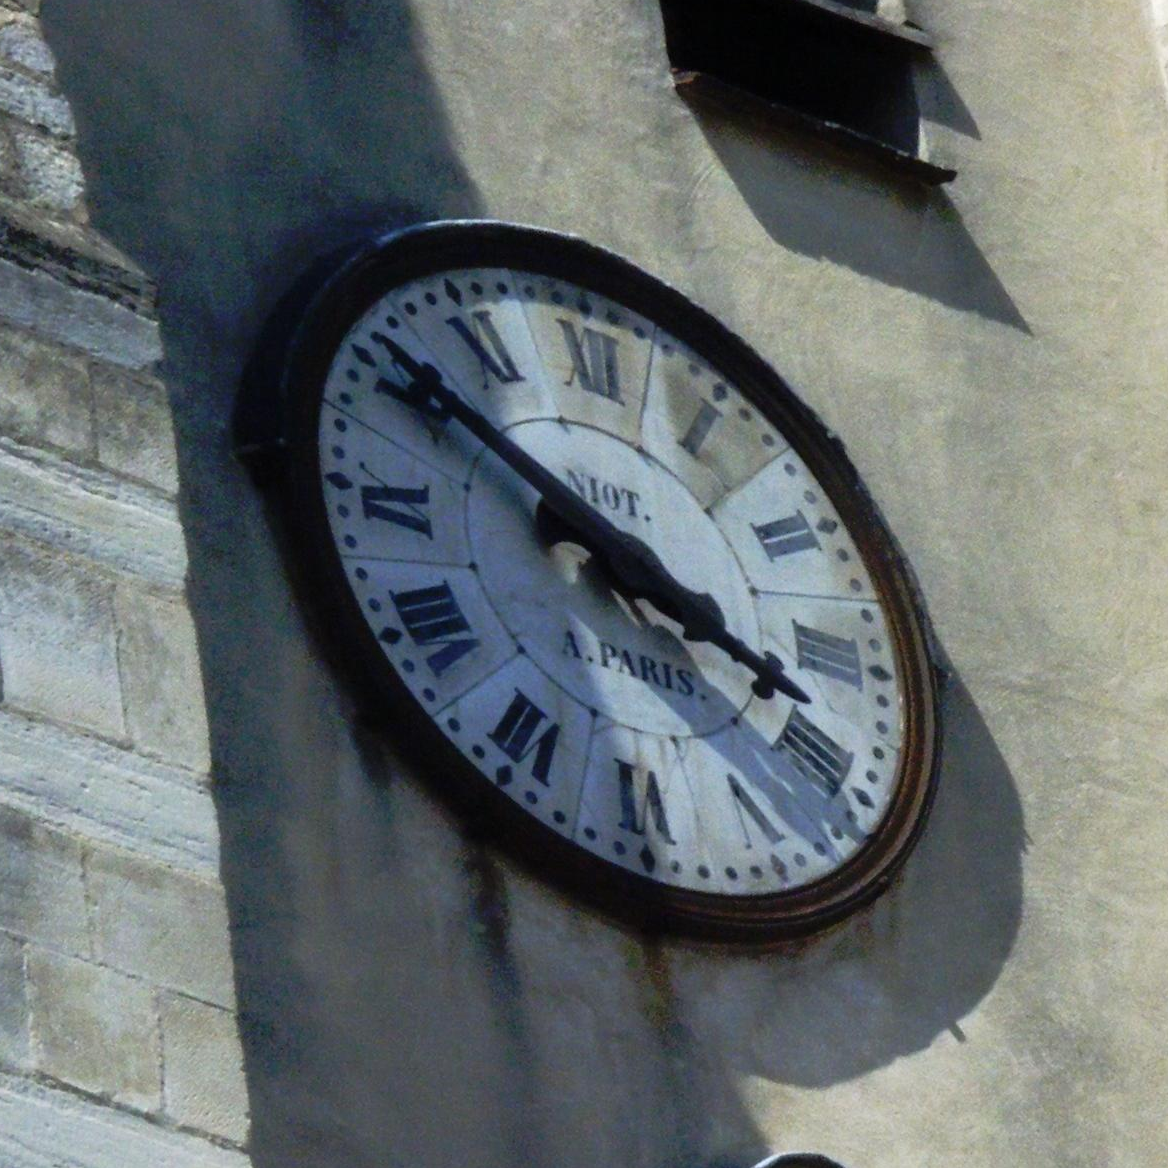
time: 3:50
